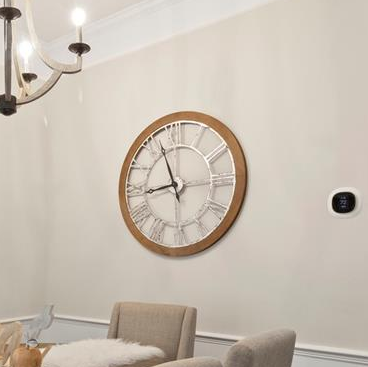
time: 8:56
